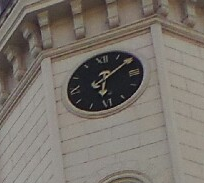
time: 6:09
